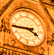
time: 3:44
